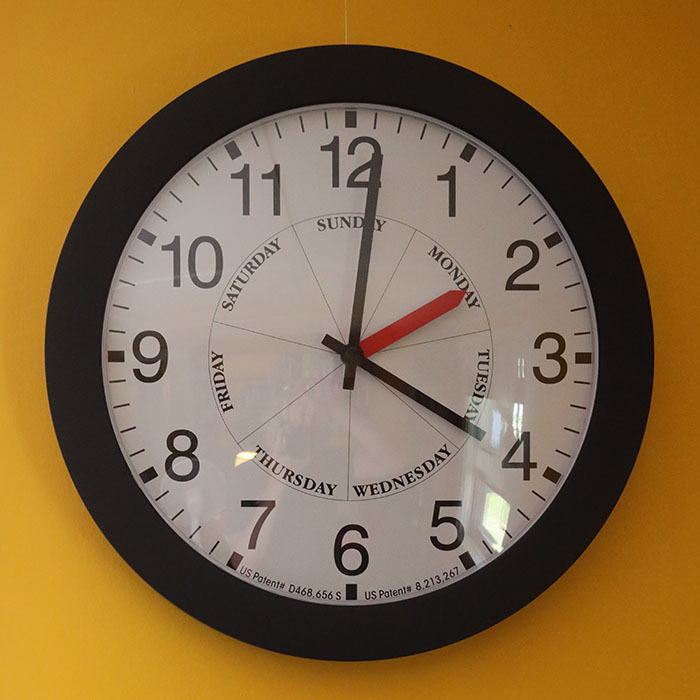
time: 4:01
